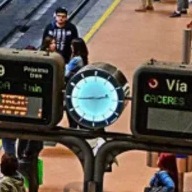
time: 2:44
